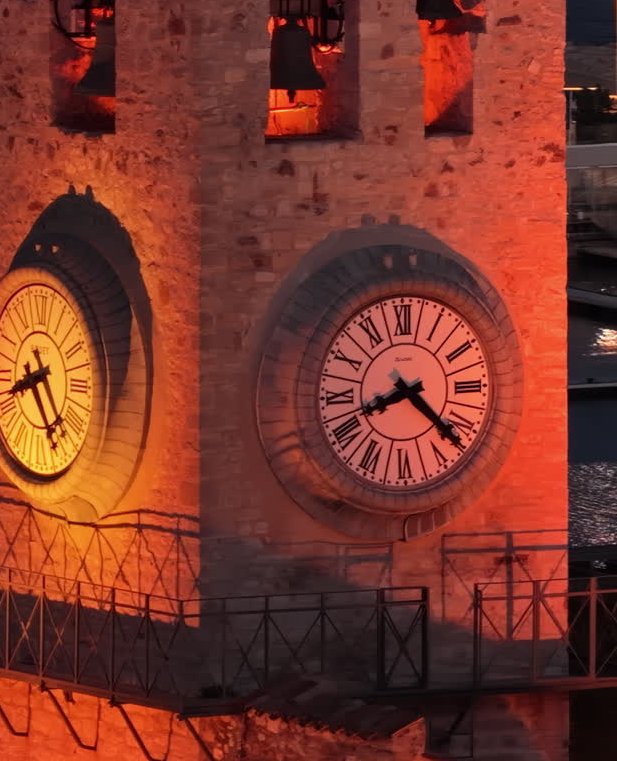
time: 8:22
